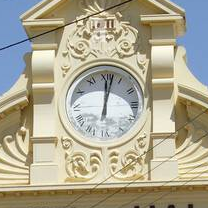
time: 12:02
